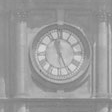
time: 11:25
